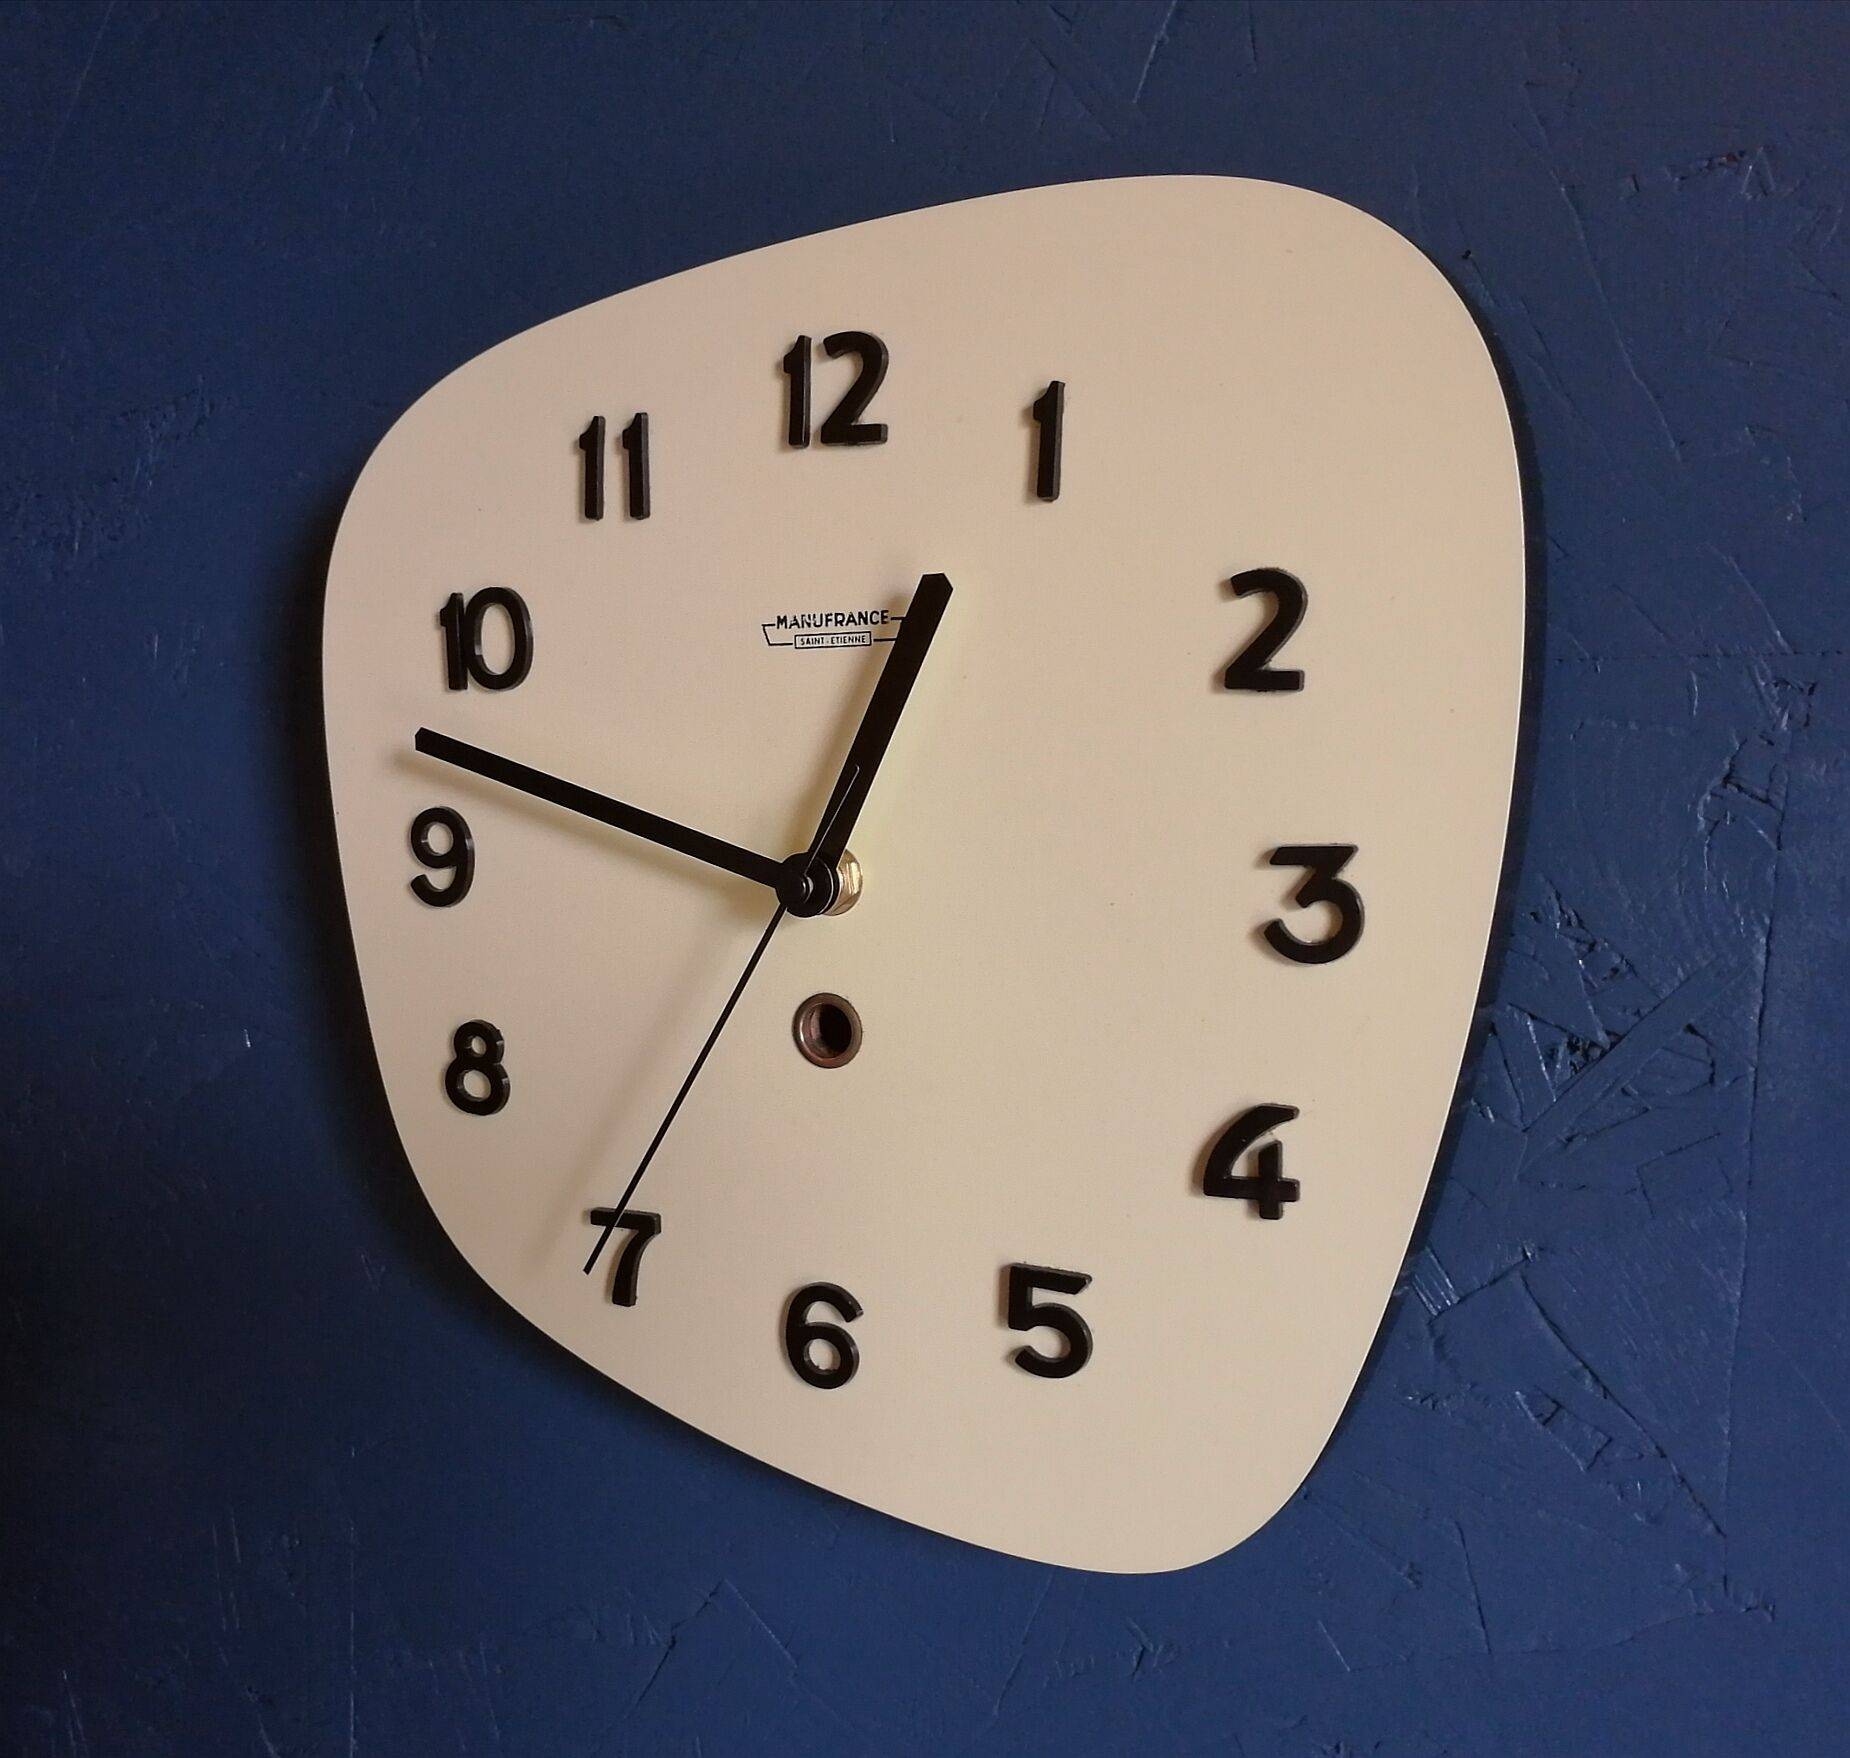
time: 12:47
